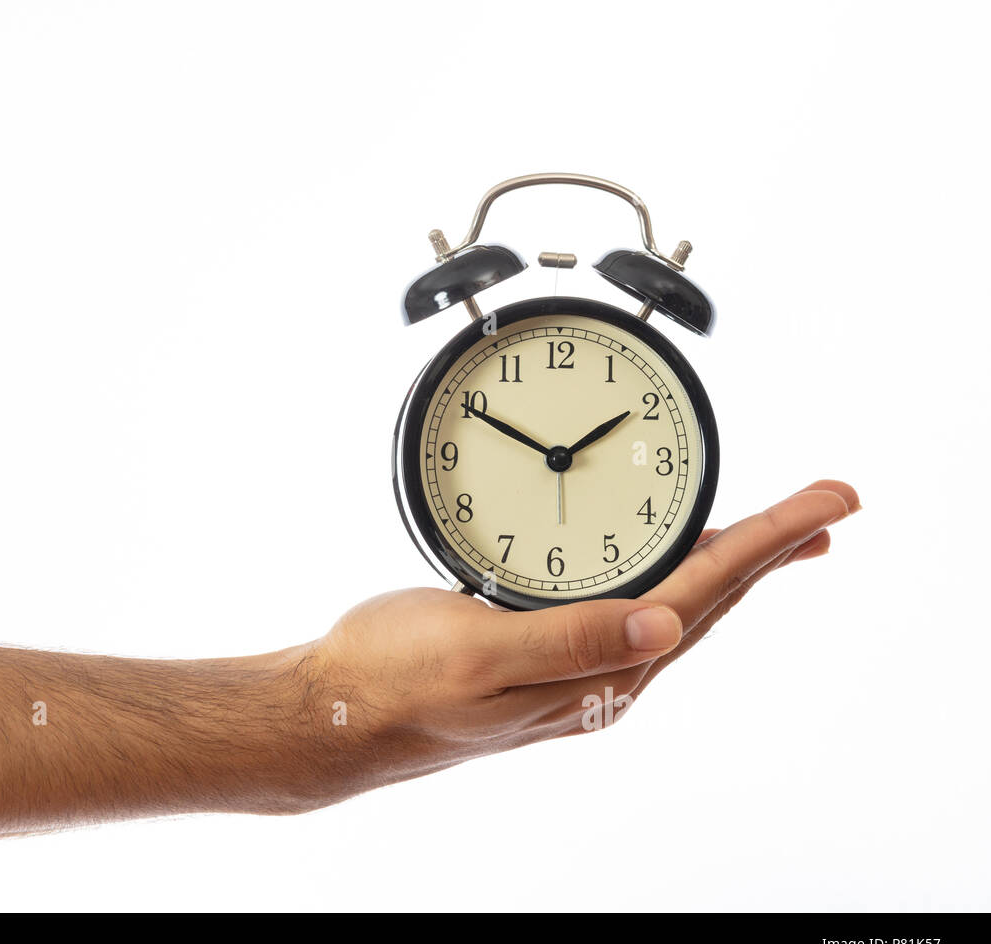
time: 1:50
